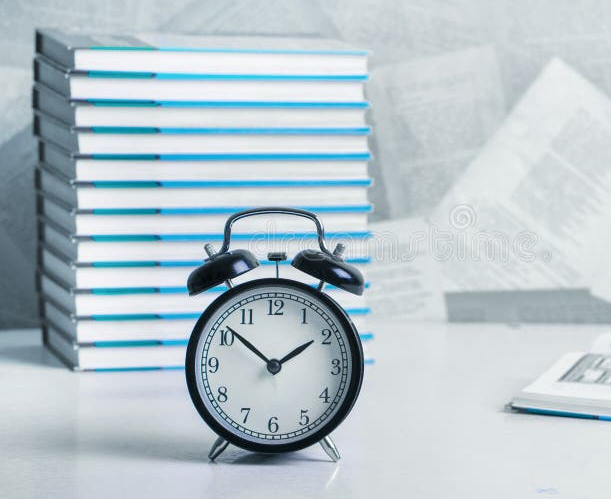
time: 1:51
